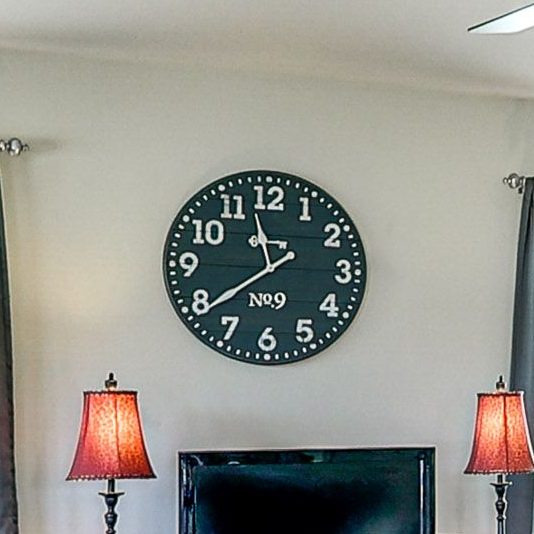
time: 11:38
